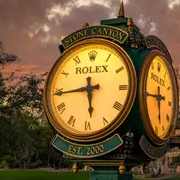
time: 5:43
